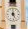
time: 4:59
